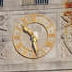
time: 10:28
